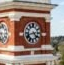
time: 4:42
